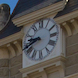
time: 8:40
